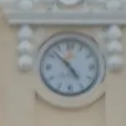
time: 4:52
